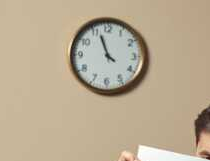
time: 3:56
